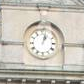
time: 1:02
